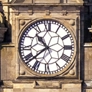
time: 10:38
